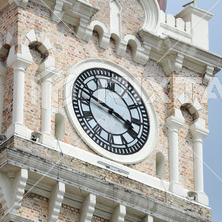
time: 3:47
